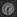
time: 1:32
